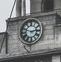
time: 2:48
